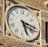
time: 5:18
